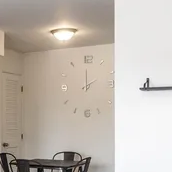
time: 2:00
